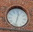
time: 12:32
